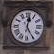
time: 12:24
